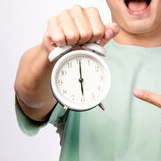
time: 6:00
